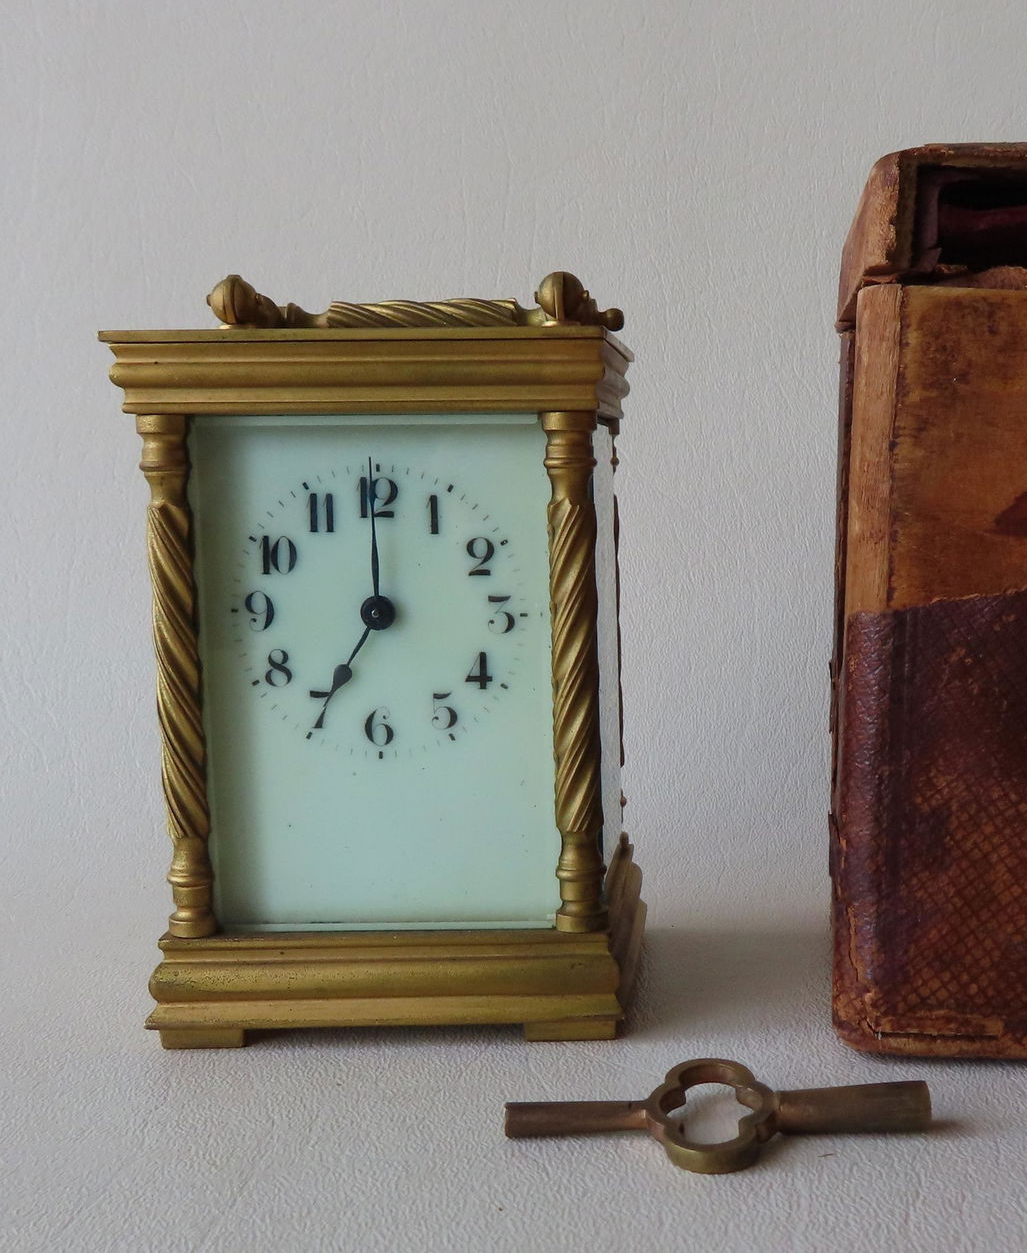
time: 7:00
